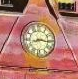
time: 8:16
